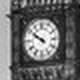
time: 9:50
